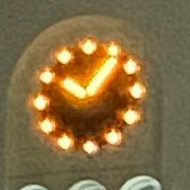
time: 10:06
